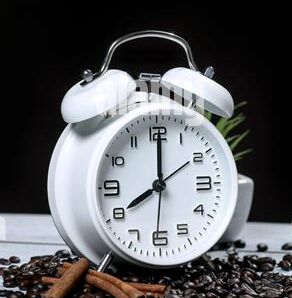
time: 8:00
